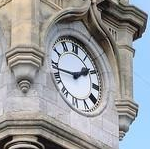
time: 1:43
